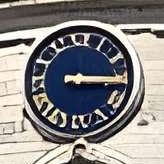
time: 3:15
